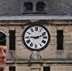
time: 9:11
